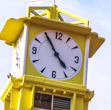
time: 4:54
